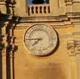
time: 7:44
